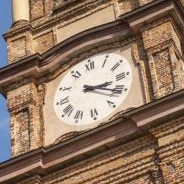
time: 3:21
